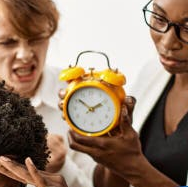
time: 1:51
